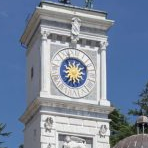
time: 6:10
